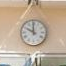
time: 9:59
